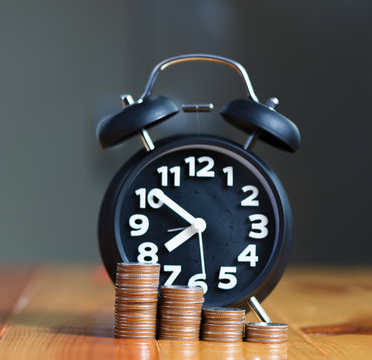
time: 7:51
